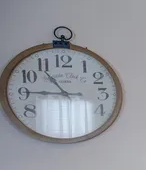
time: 10:45
